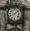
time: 8:09
